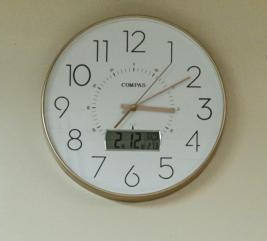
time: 3:09
